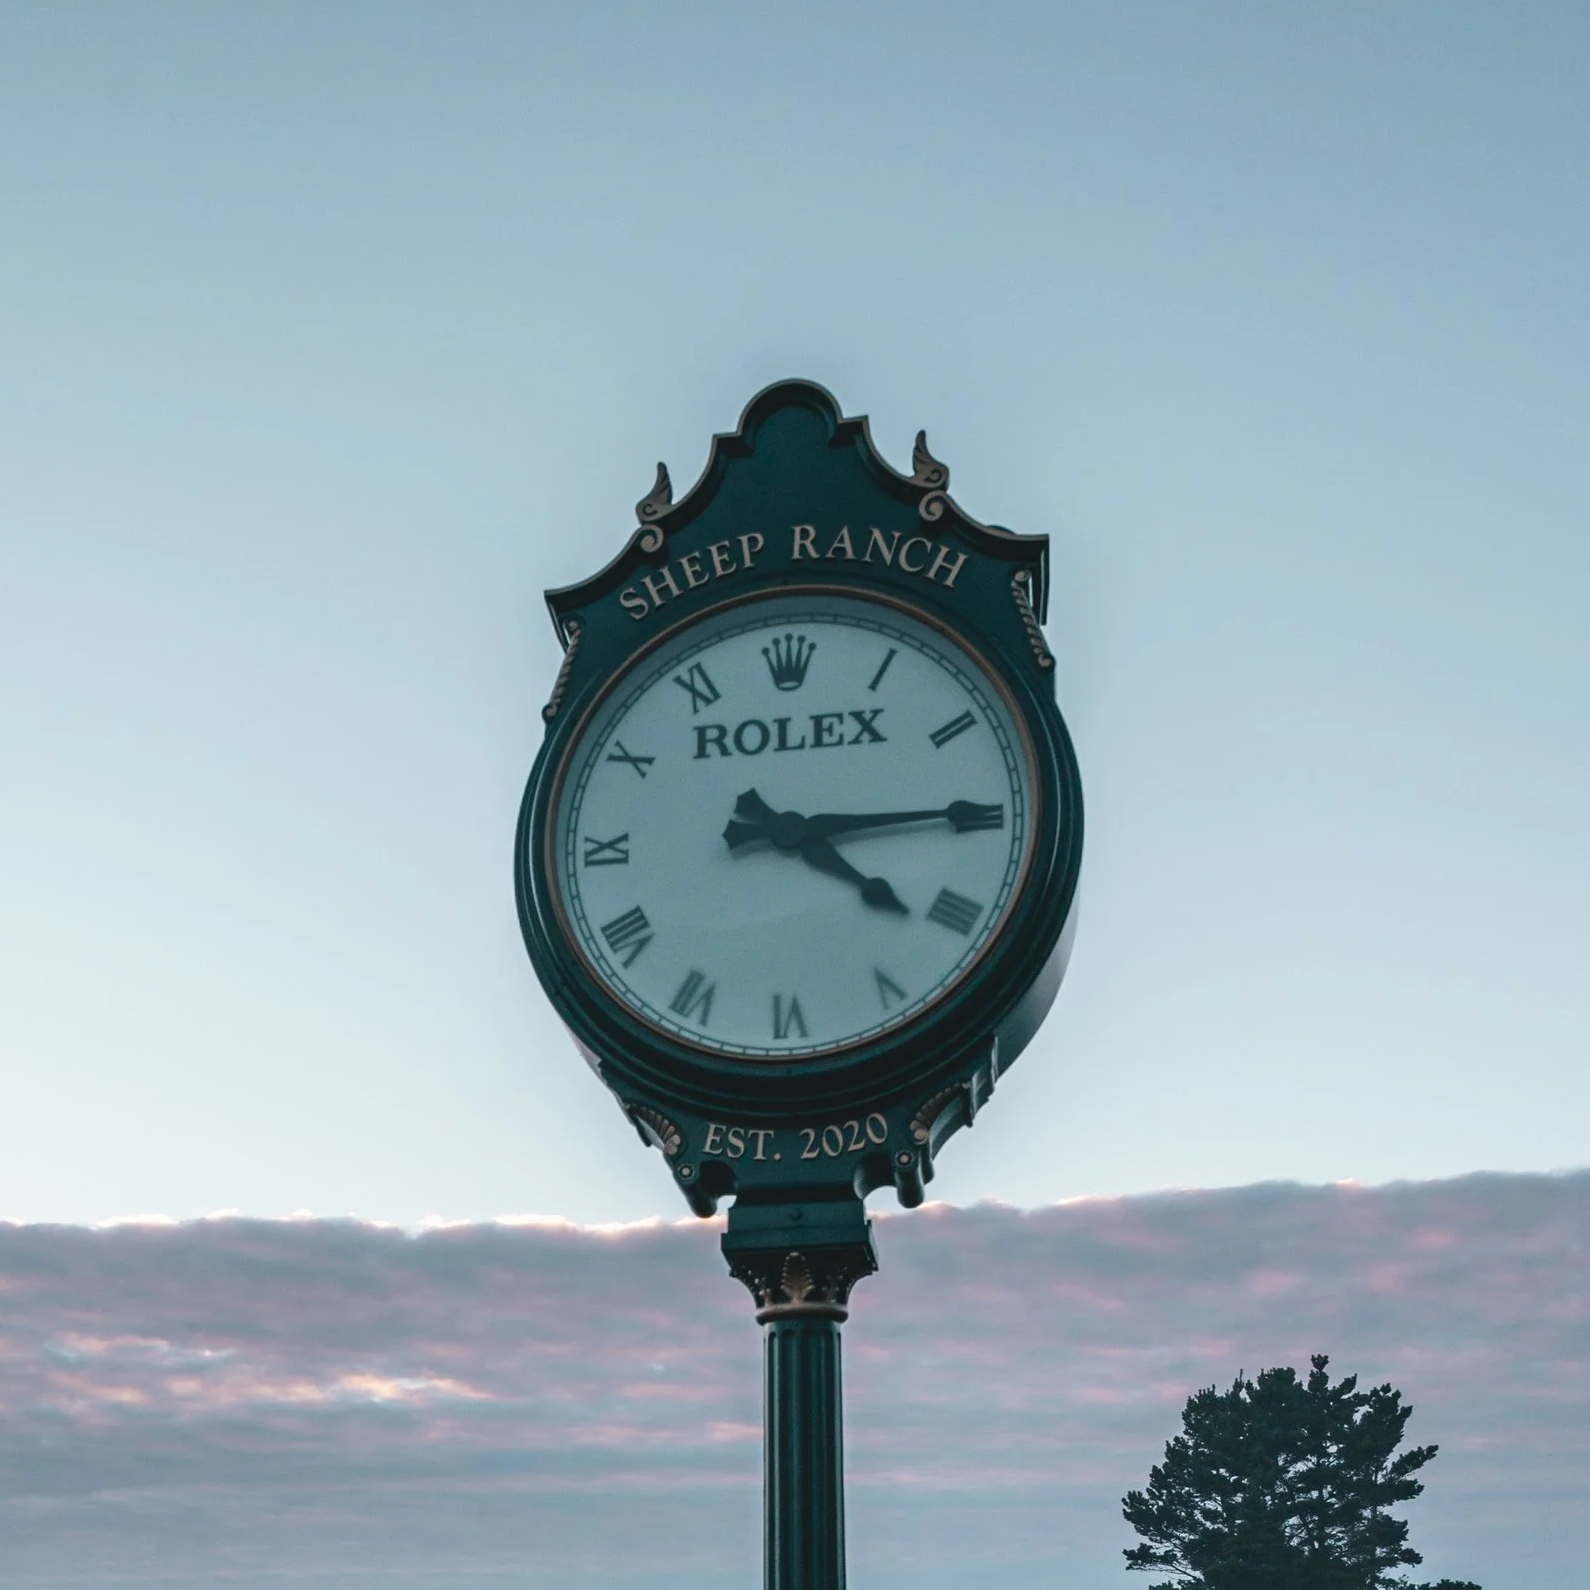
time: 4:14
